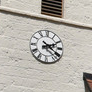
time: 2:21
